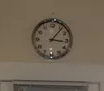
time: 3:06
